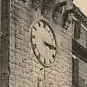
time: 3:14
